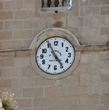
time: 4:55
